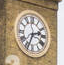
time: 2:34
